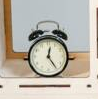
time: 12:24
